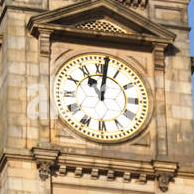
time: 11:01
